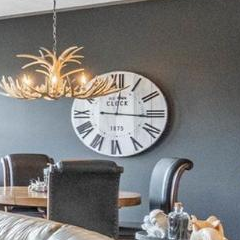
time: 12:16
